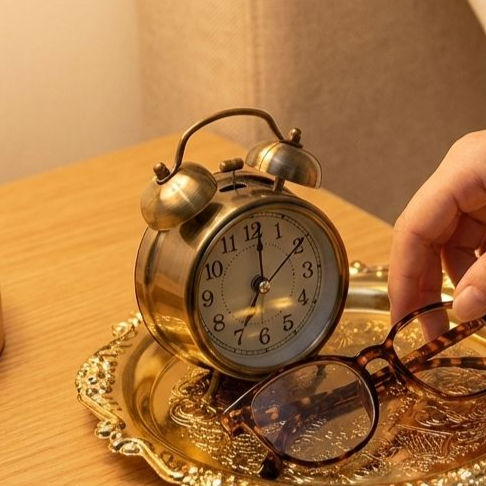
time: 7:01
